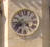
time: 8:23
